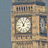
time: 11:05
